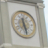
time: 5:27
